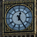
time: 12:24
